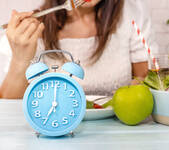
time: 7:00
